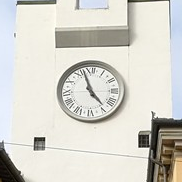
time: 4:57
